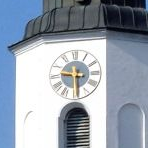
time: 9:29
